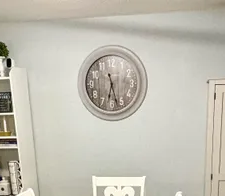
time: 6:27
